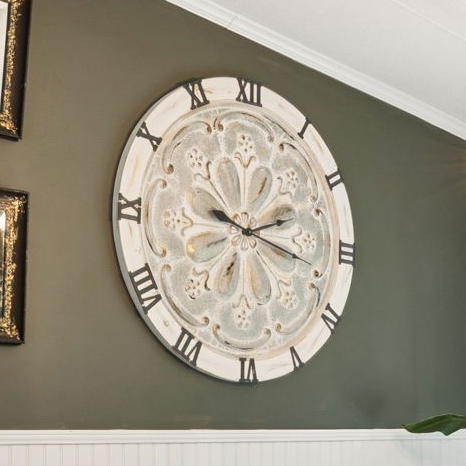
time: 2:17
